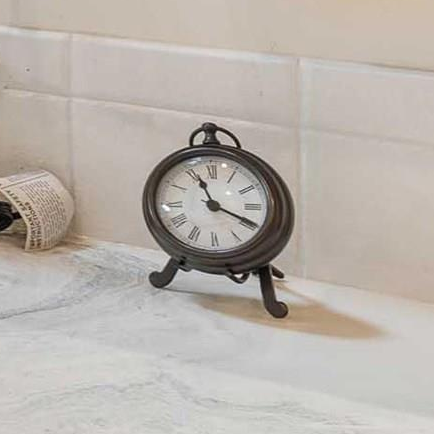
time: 11:19
